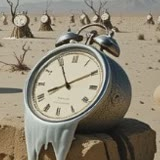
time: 8:09
